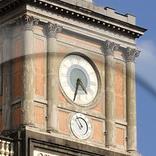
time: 4:33
